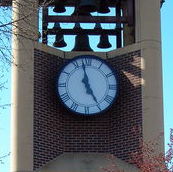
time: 4:57
